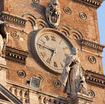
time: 6:46
